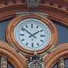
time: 1:51
